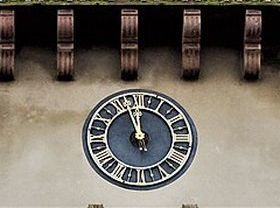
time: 11:56
